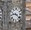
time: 9:22
